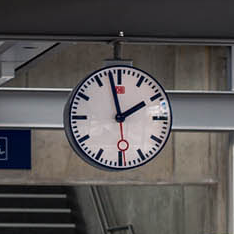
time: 1:57
